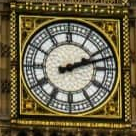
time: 2:12
